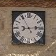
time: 2:54
